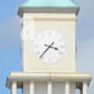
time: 3:37
